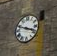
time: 3:48
